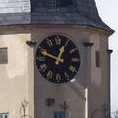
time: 12:48
